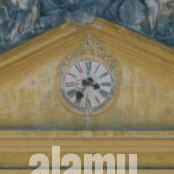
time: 3:35
